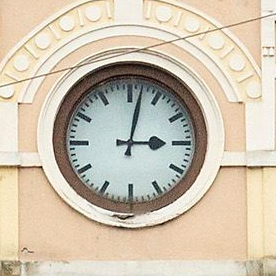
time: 3:02
